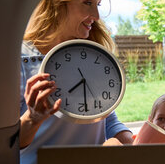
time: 7:29
